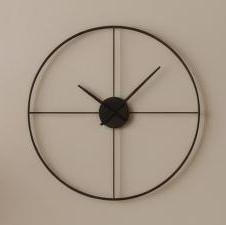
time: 10:07
